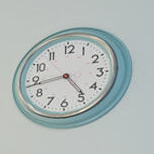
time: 4:43
